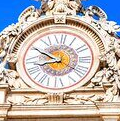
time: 8:49
